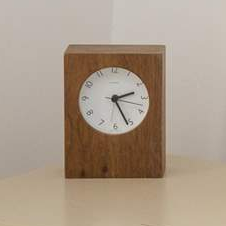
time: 2:25
